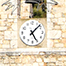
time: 5:07
